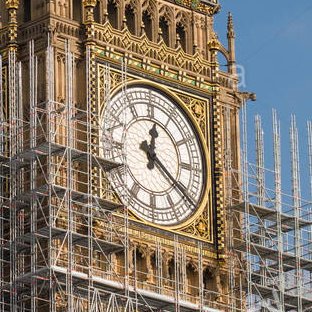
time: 12:20
